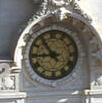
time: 8:53
